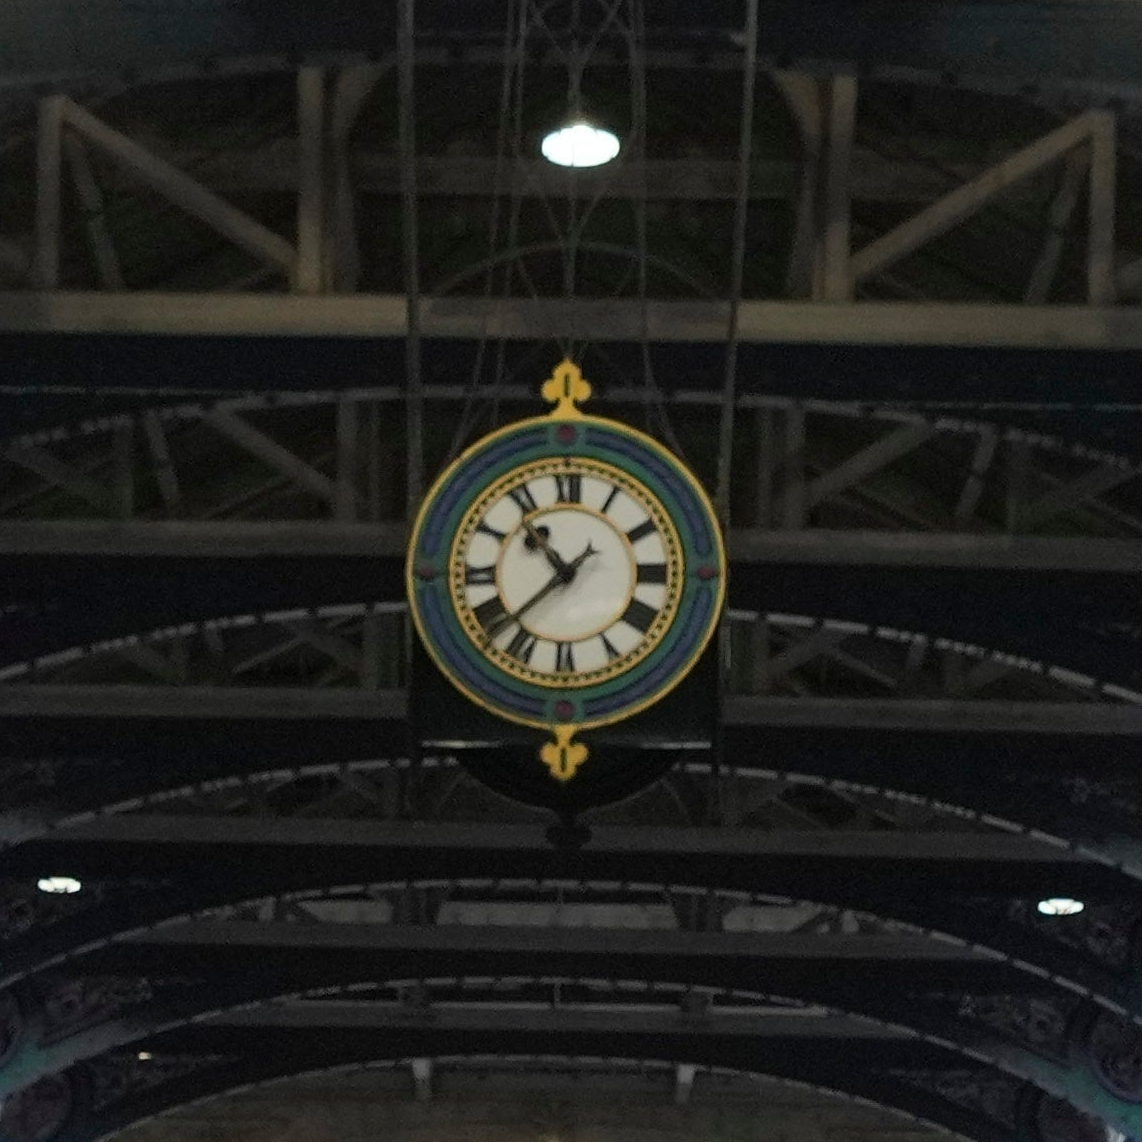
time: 10:37
